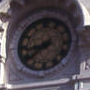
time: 8:38
